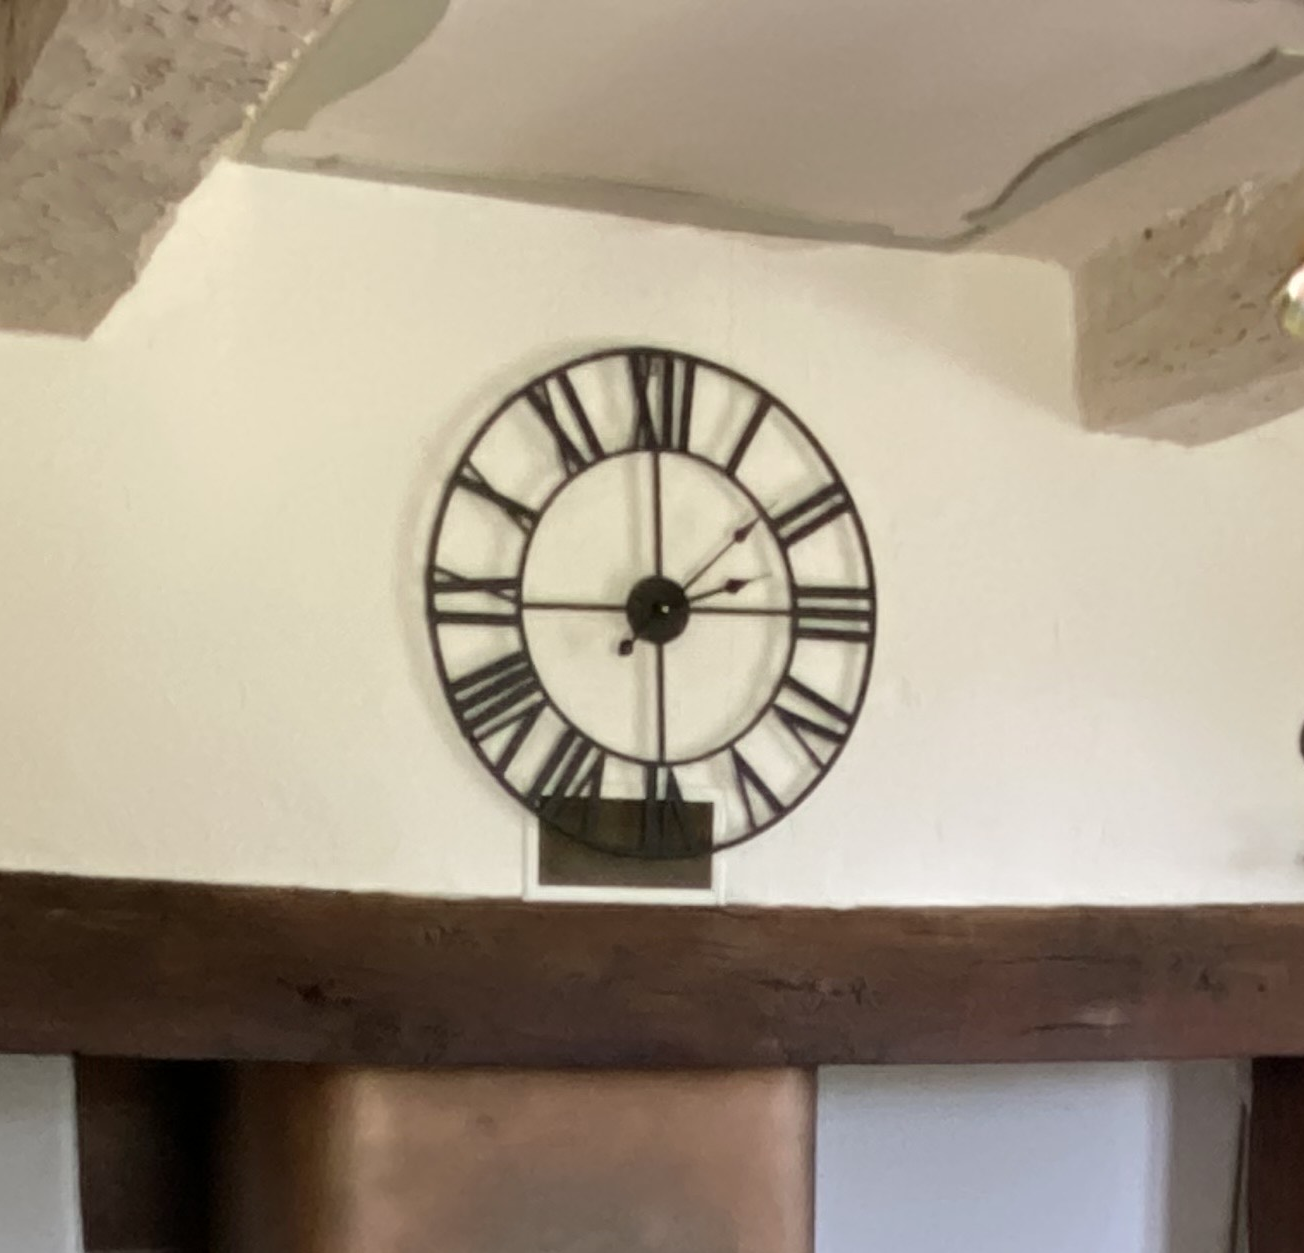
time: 1:59
